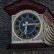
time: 6:14
